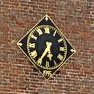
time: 5:35
